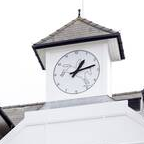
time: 1:12
